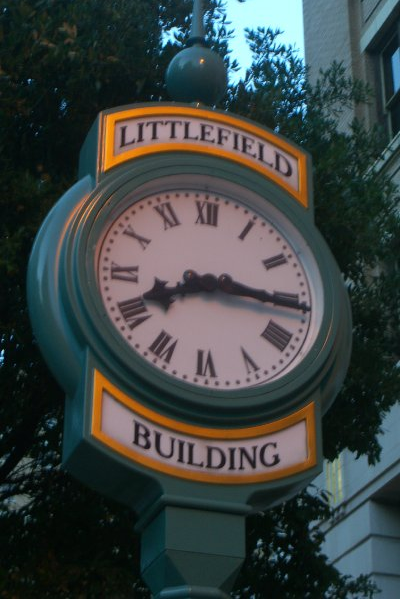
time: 8:15
